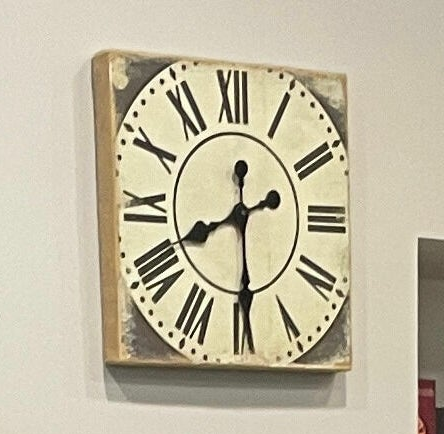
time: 8:29
